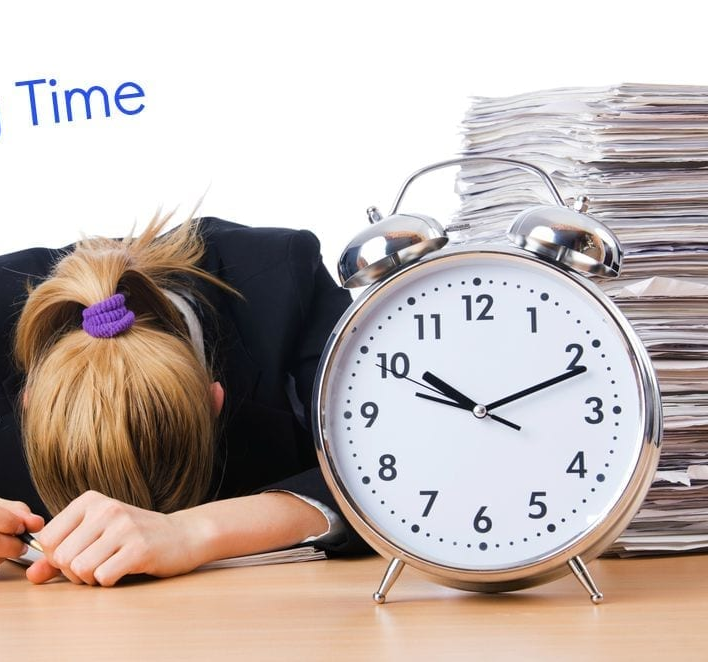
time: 10:11
